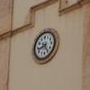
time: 8:24
